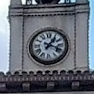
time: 1:18
